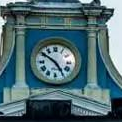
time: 4:50
